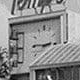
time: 2:45
